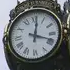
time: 12:18
